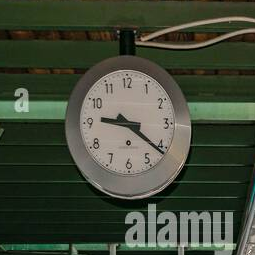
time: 9:21
